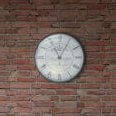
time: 11:04
